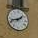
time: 1:42
